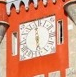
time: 5:59
